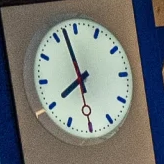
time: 7:57
